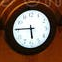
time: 5:45
